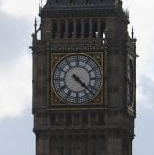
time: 4:22
